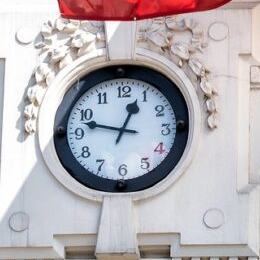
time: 12:47
